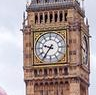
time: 9:36
